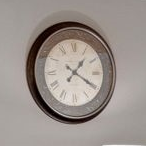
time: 1:19
